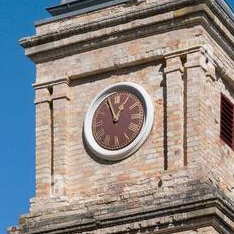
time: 12:55
